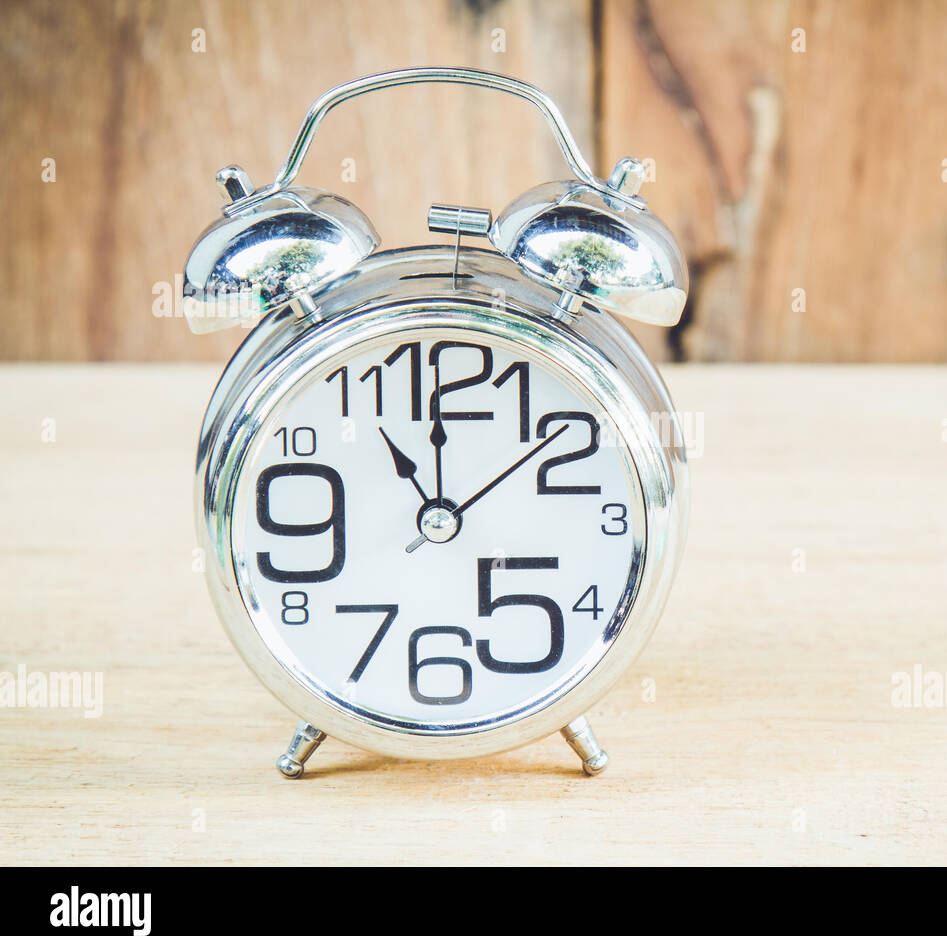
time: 11:00
